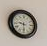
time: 9:29
